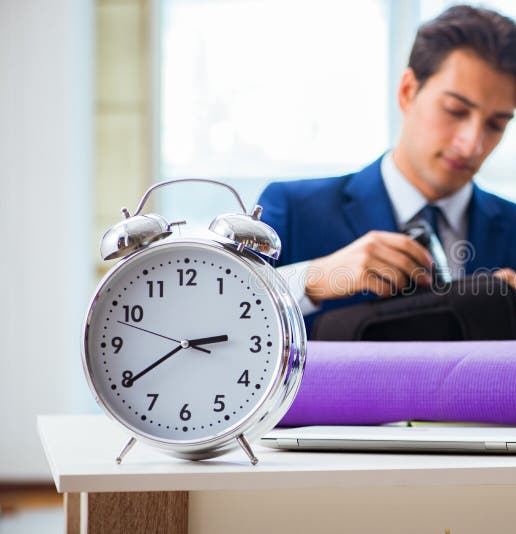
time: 2:39
